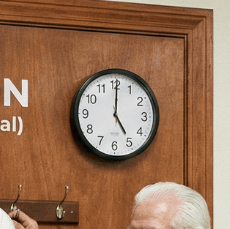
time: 5:00
